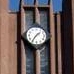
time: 1:36
